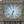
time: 6:32
